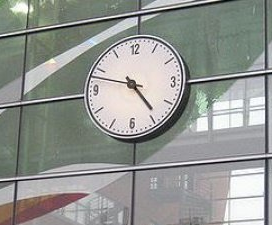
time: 4:48
